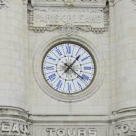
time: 1:21
